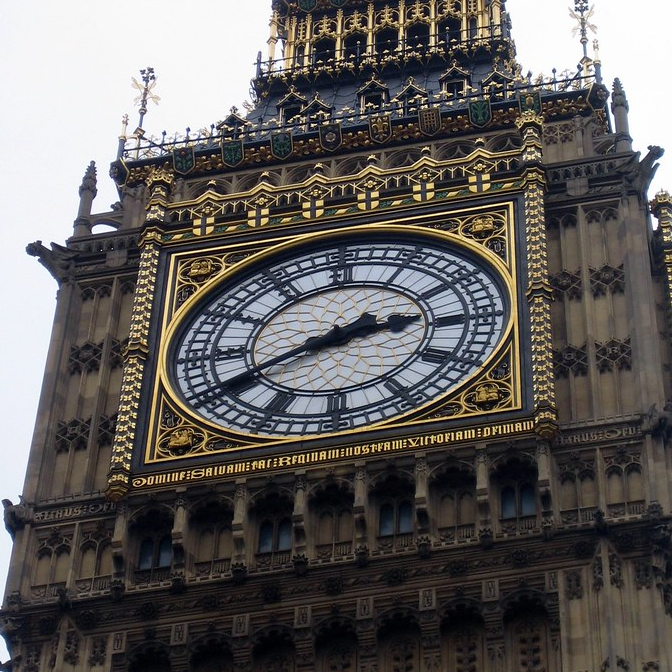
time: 2:40
